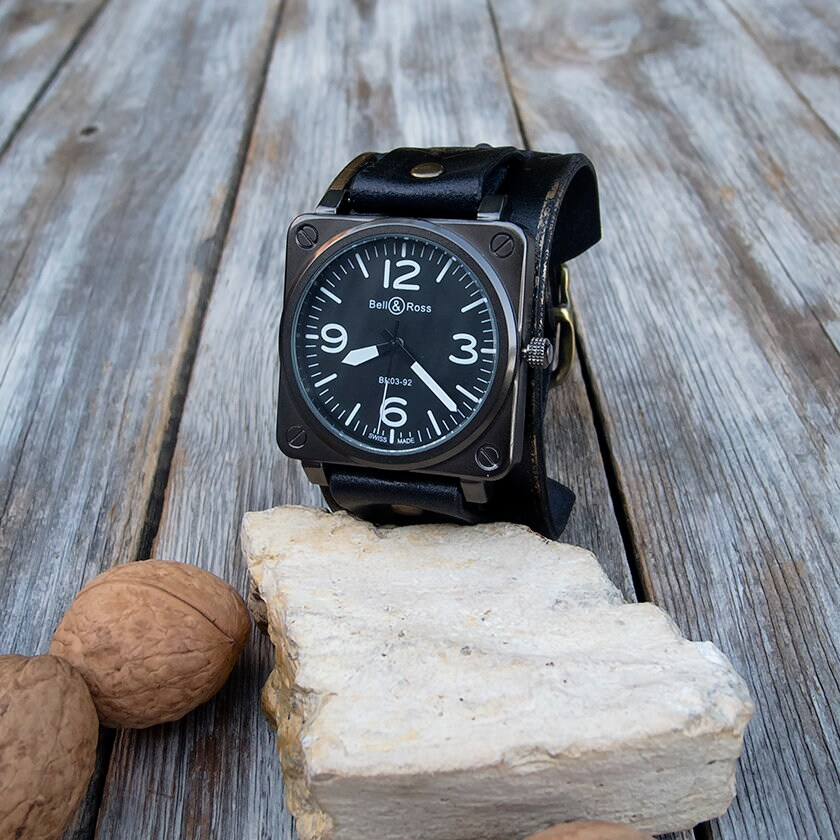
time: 8:21
